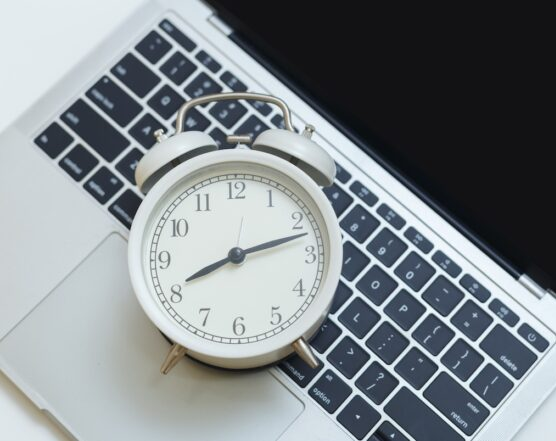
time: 8:12
